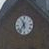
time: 11:36
